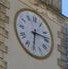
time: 6:13
